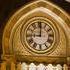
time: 9:00
